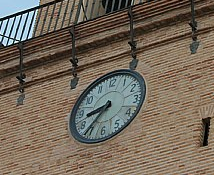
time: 8:36
